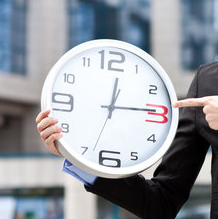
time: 12:14
